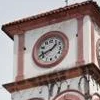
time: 1:42
